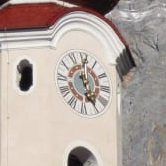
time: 4:59
